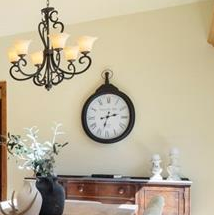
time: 2:32
